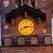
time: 8:14
